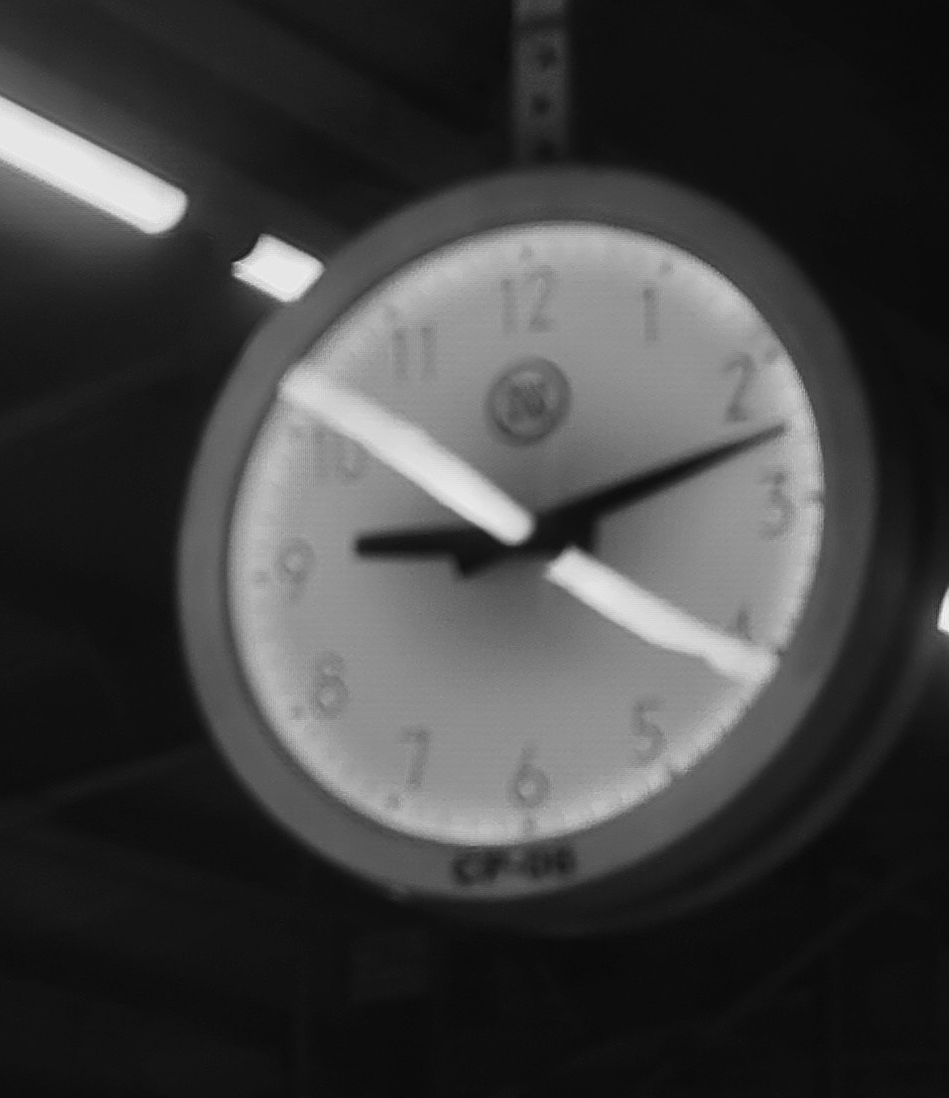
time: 9:12
